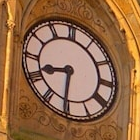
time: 8:30
